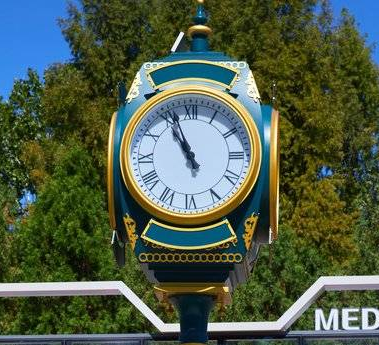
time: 10:56
